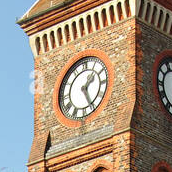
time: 1:24
